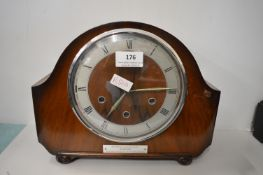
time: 9:35
